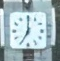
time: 7:00
